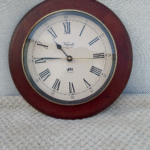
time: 10:45
